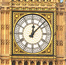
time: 12:07
